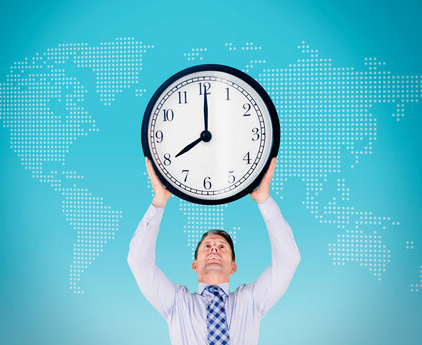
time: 8:00
